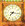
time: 7:16
